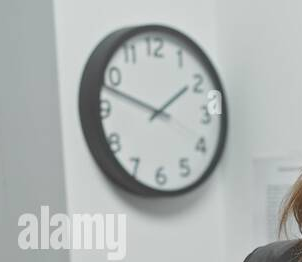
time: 1:47
